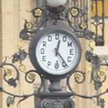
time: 12:23
